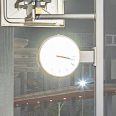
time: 3:17
